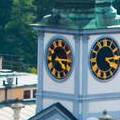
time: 4:14
